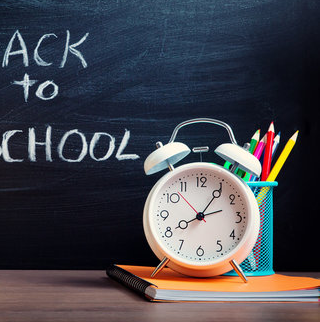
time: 8:05
